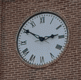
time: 2:50
